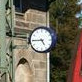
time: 4:44
